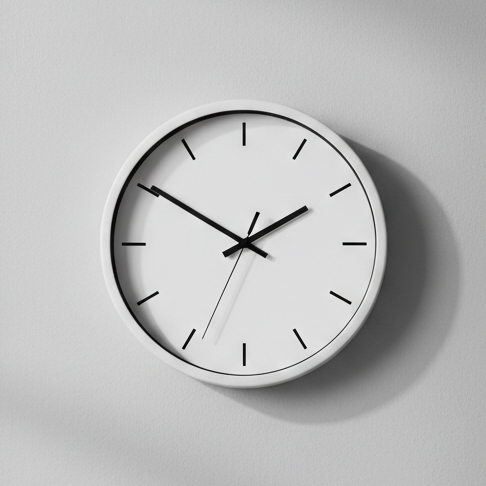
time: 1:50
